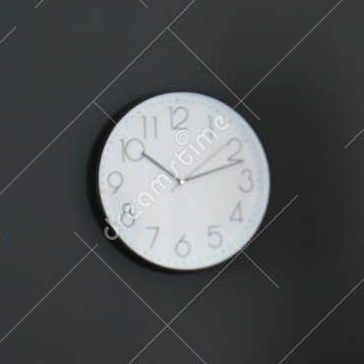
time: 10:12
